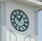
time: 12:51
